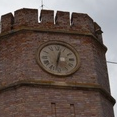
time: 12:32
